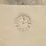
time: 12:13
